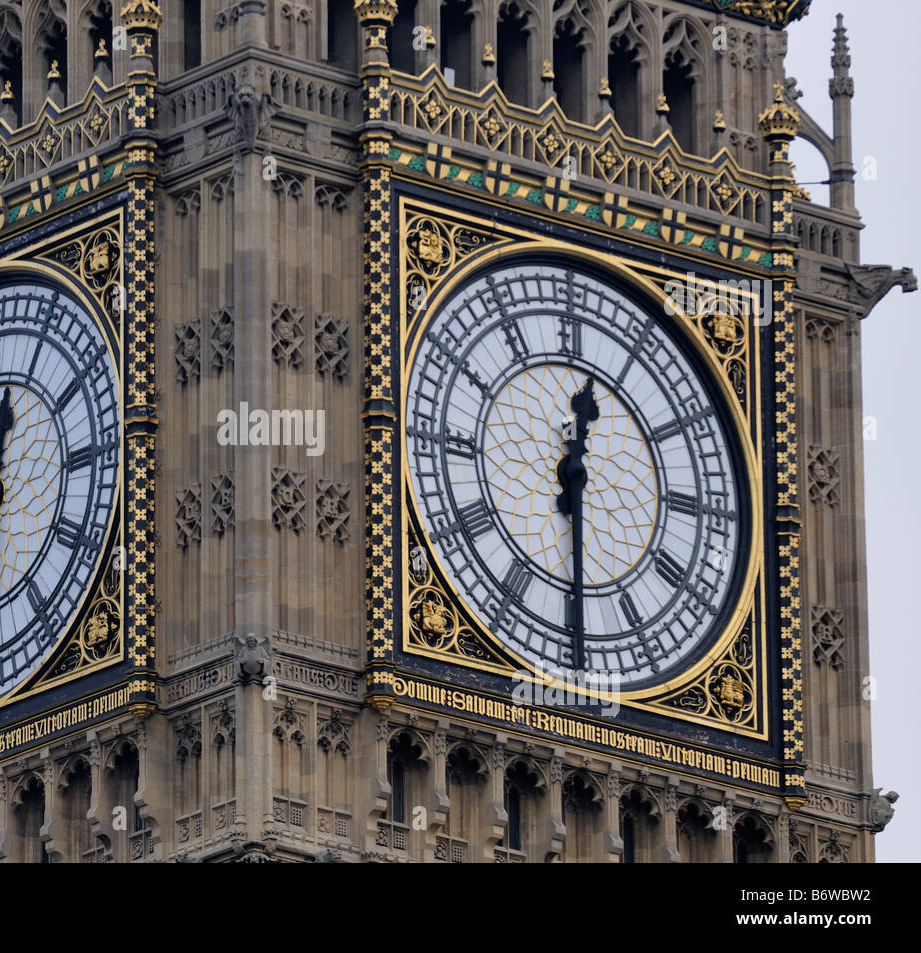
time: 12:29
